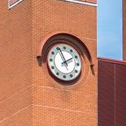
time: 1:56
